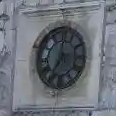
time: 7:00
